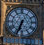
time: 6:34
